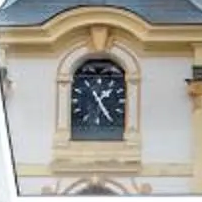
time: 1:24
